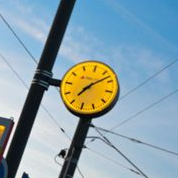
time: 7:07
